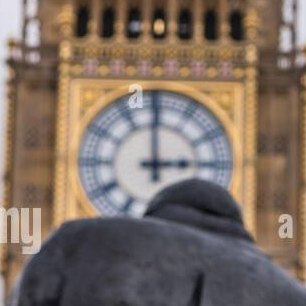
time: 2:59
